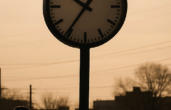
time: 10:35
